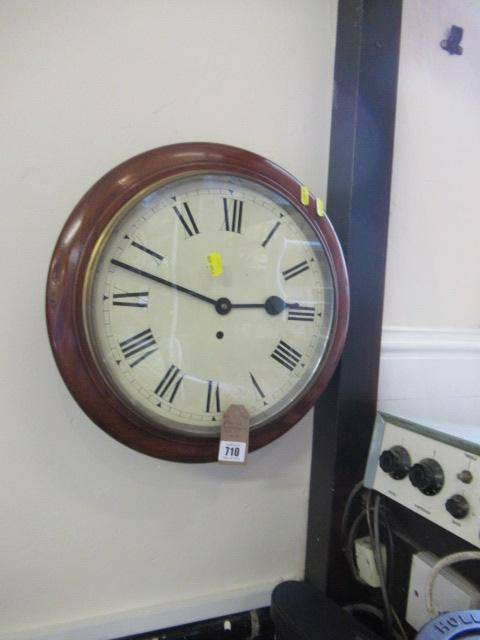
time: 2:47
